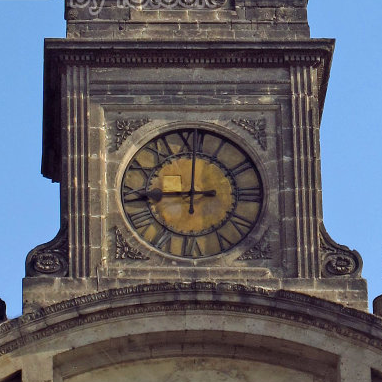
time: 9:00
